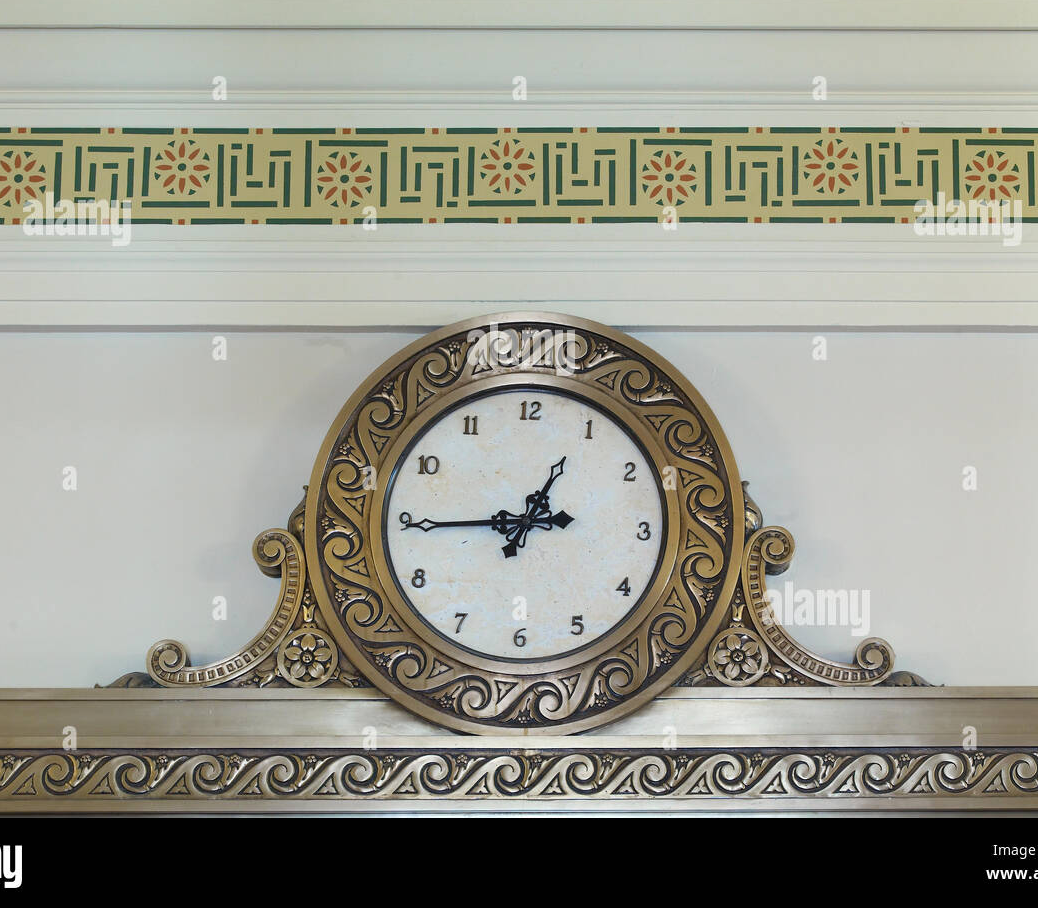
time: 12:44
